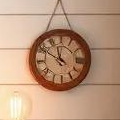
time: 11:50
